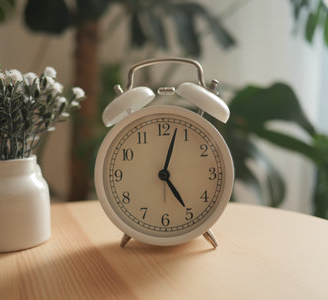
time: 5:03
